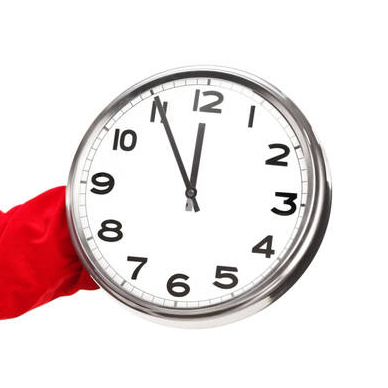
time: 11:55
